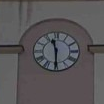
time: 11:29
